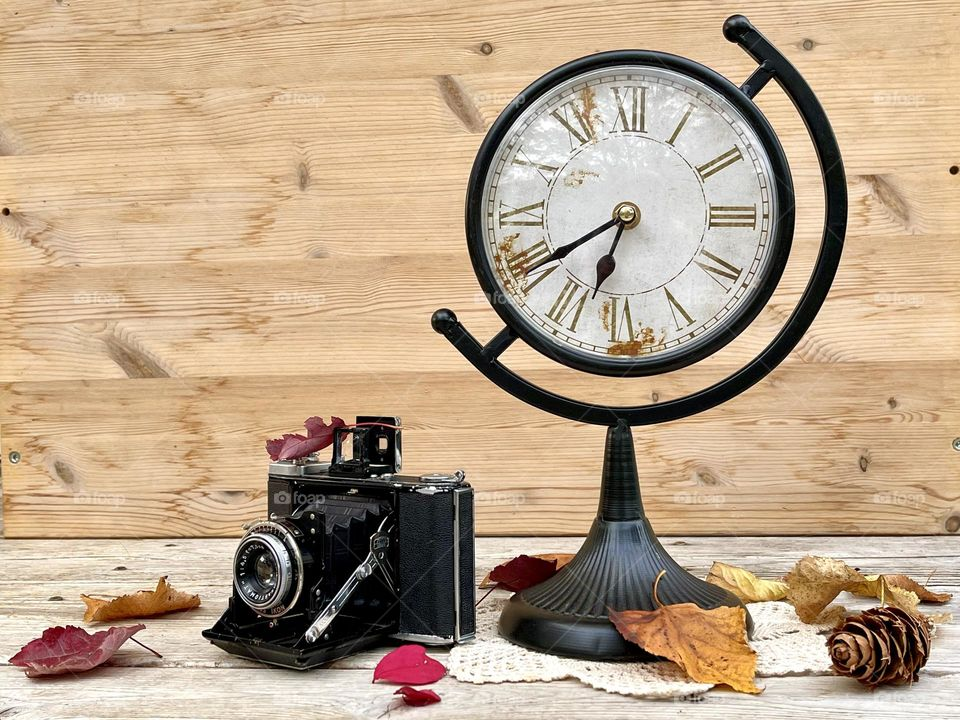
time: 6:39
